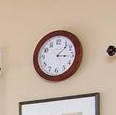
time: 3:07
